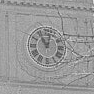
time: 11:02
